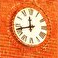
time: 11:42
